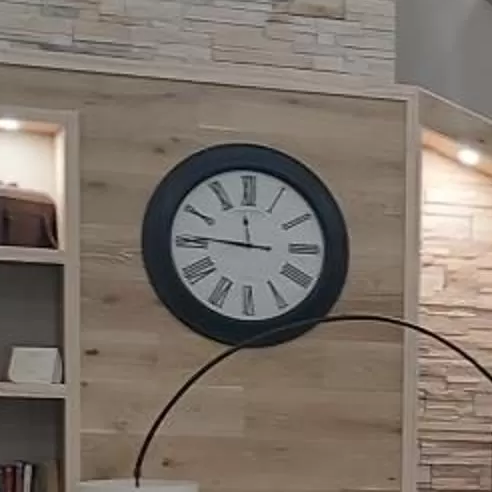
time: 11:45
